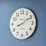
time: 8:09
